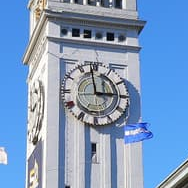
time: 2:58
